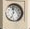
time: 11:33
